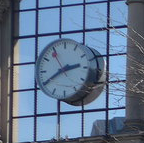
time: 2:40
